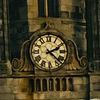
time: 2:22
